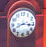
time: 8:16
